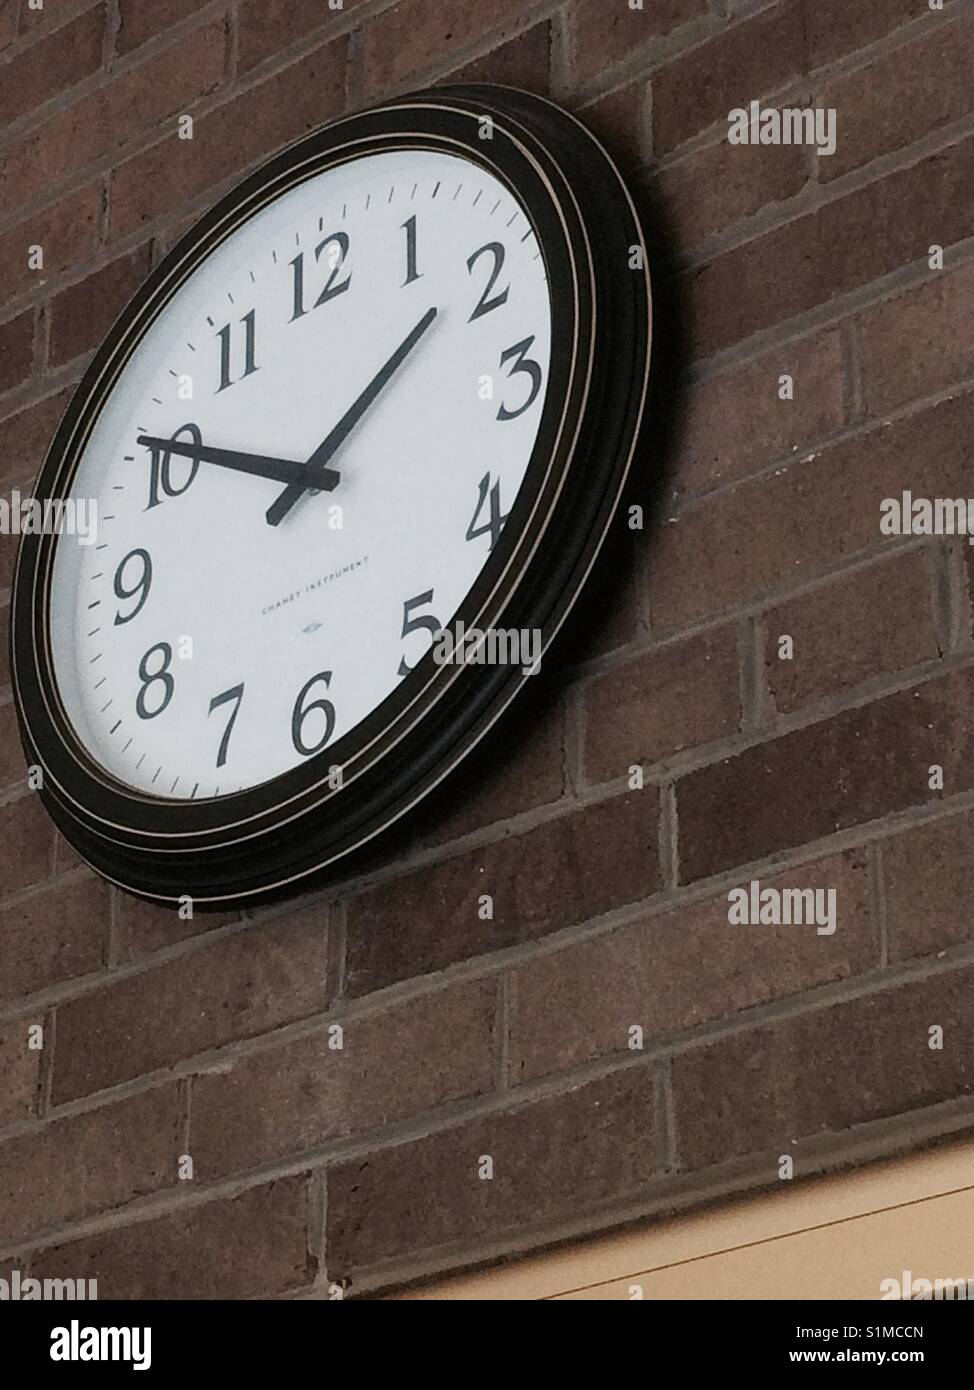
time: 1:50
